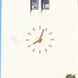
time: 8:03
